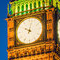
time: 10:02
